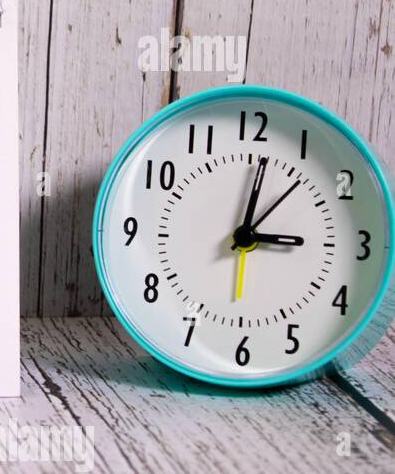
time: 3:01
